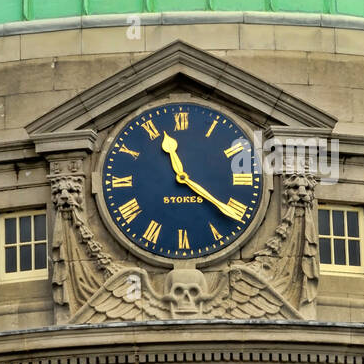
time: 11:21
